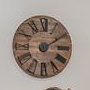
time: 2:09
